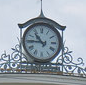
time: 10:45
